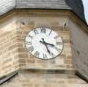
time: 3:26
